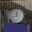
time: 11:42
